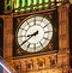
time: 8:39
